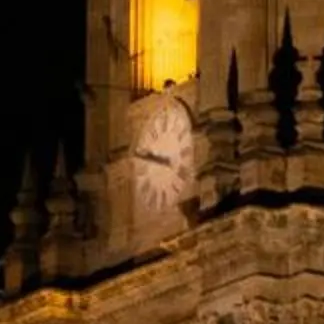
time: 9:47
